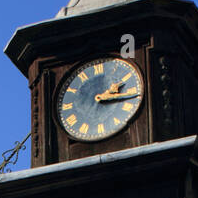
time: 2:16
